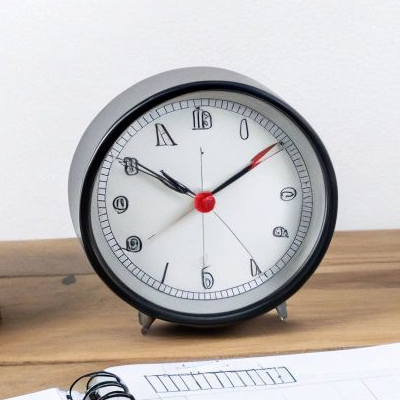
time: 1:50
